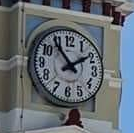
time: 1:53
